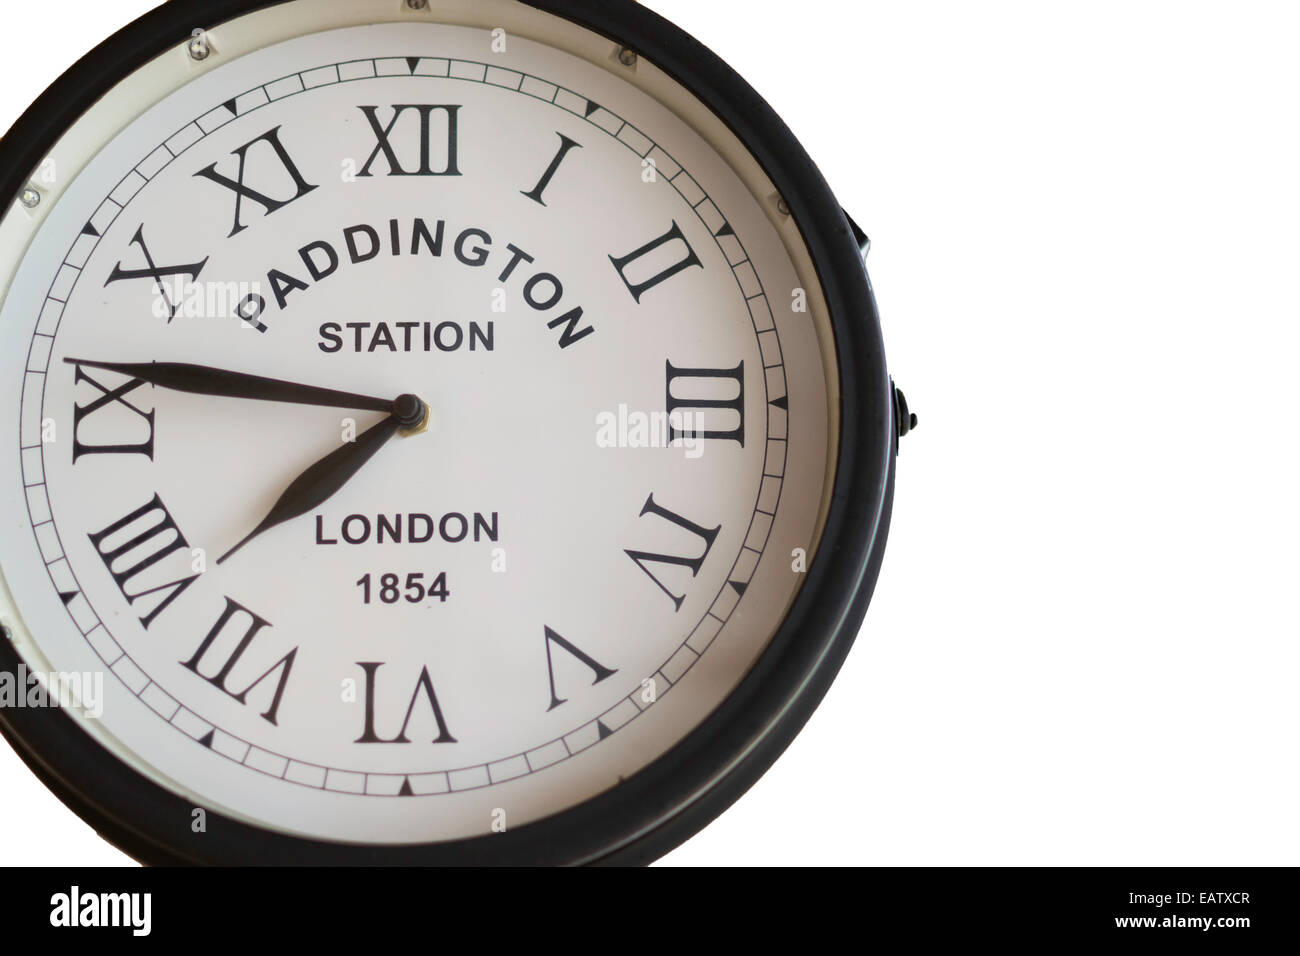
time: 7:46
